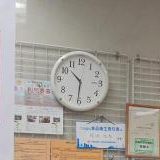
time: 10:31
